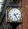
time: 2:24
